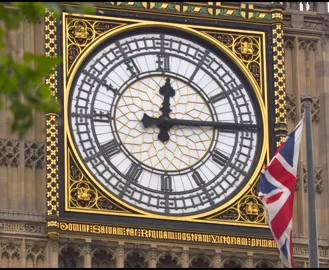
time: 12:14
